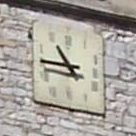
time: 10:46
